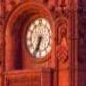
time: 6:34
